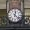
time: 12:22
